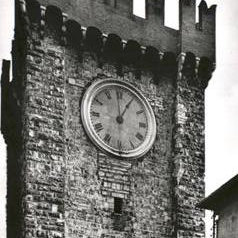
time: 12:59
